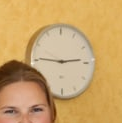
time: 2:45
